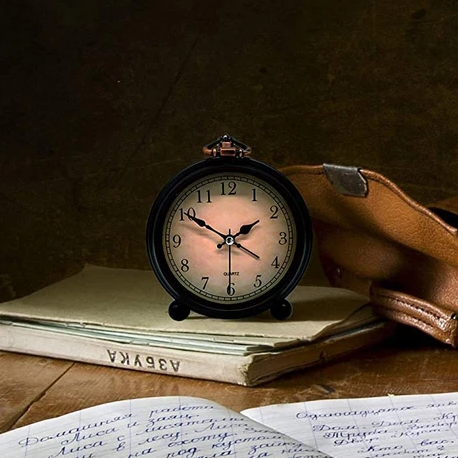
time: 1:50
